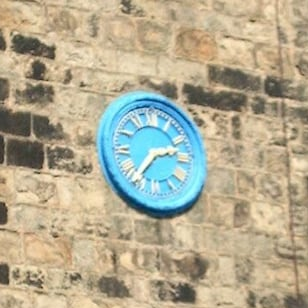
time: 2:36
